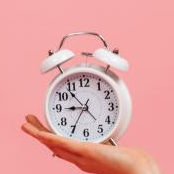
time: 8:53
